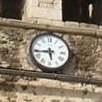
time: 5:43
